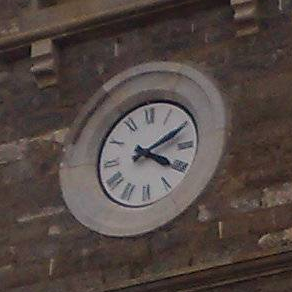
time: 4:10
